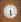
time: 5:30
